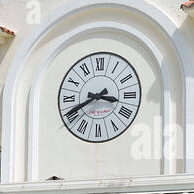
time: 3:40
